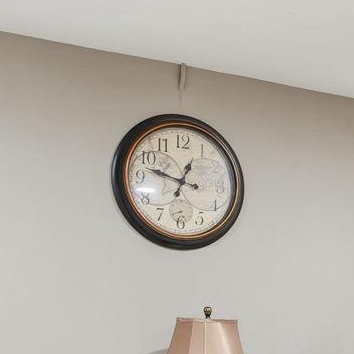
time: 12:47
